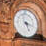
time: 5:18
